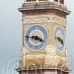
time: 3:43
